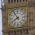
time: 7:54
